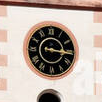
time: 3:15
